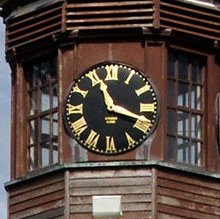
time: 11:18
